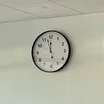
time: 11:57
